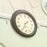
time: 1:34
